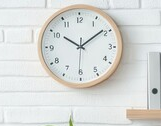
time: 10:08
